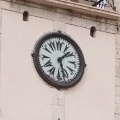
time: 1:26
